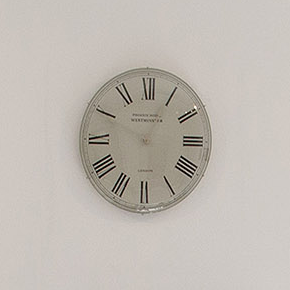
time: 12:49
